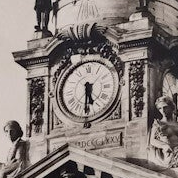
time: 5:30
